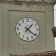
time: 1:21
